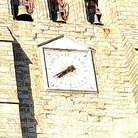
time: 7:40
